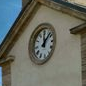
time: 12:07
